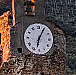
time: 6:04
